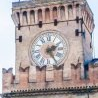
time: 2:25
